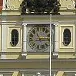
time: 11:13
